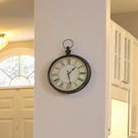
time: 1:28
